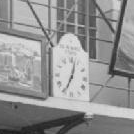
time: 12:34
